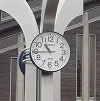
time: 10:44
